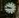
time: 9:45
